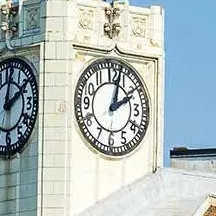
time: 2:02
